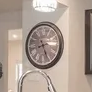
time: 8:26
